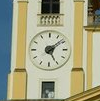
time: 5:08
